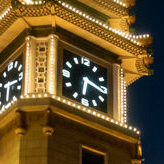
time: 6:16
